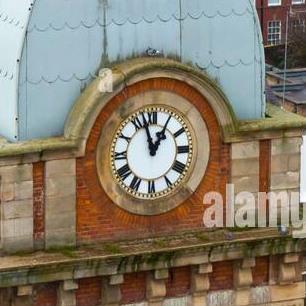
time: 12:57
